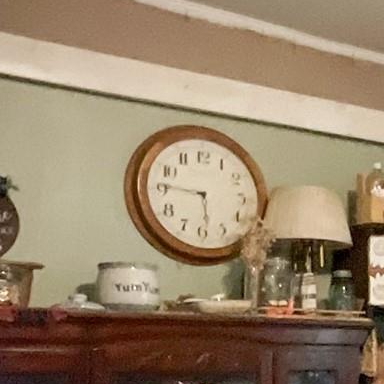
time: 5:46
